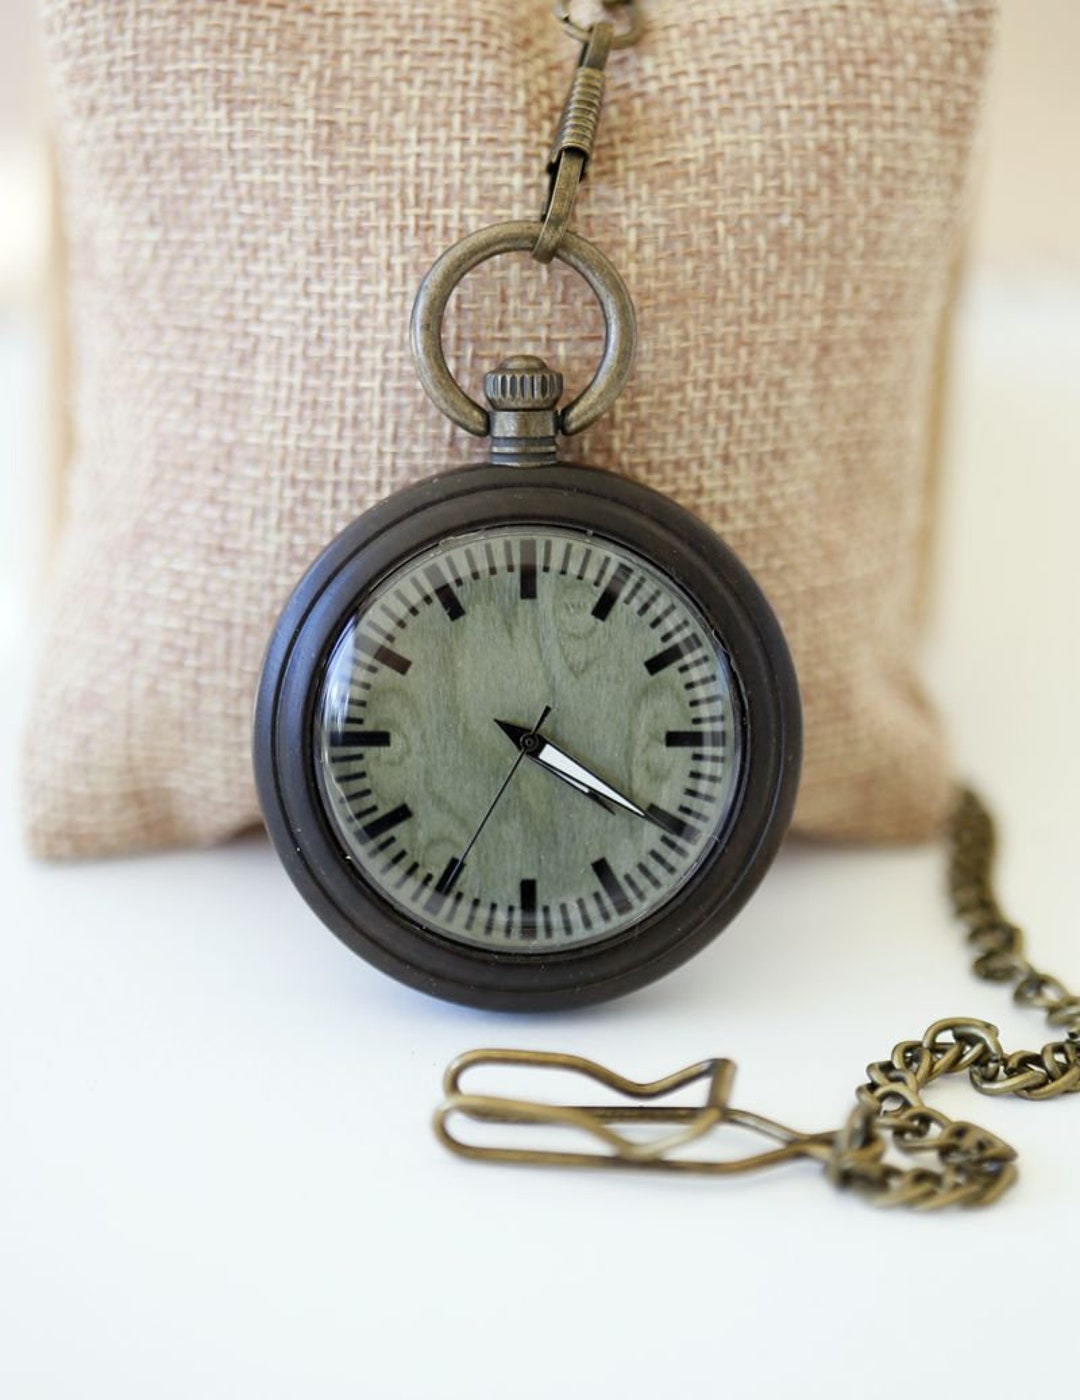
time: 4:20
